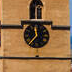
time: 11:36
